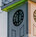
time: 12:28
